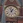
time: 12:57
